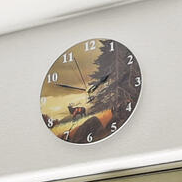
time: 1:48
